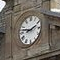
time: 9:11
